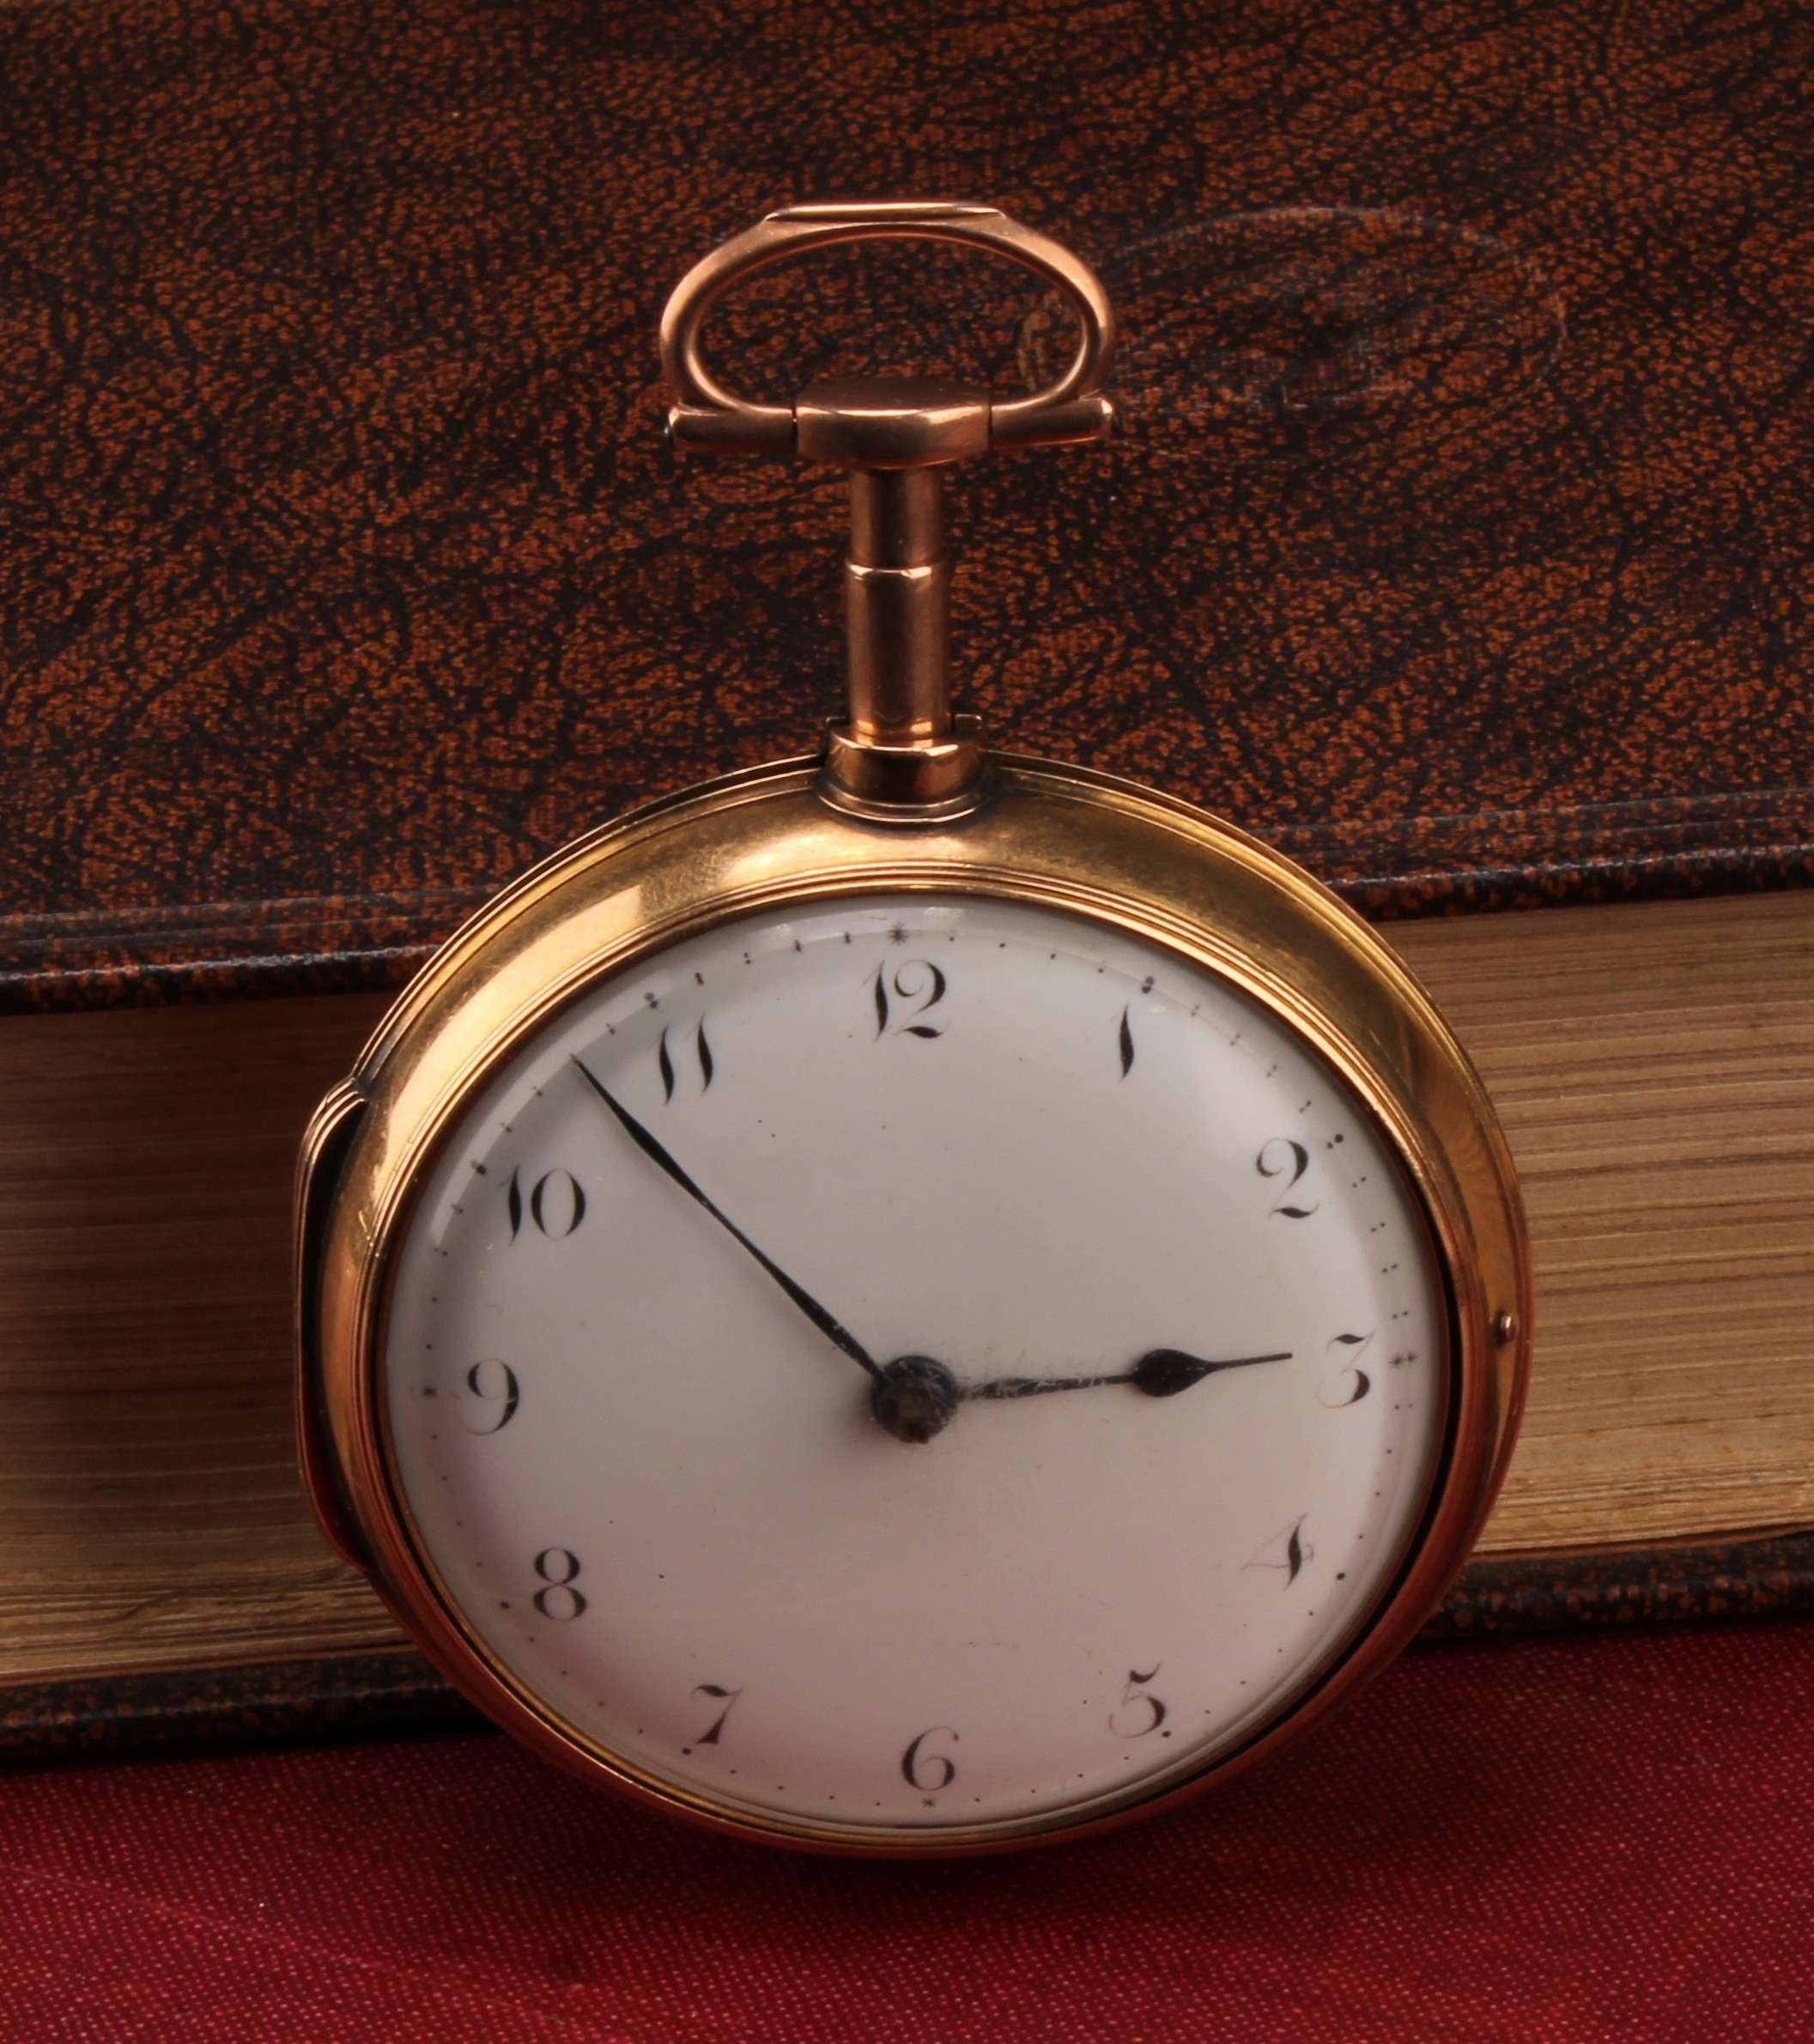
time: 2:53
